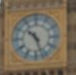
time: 10:26
